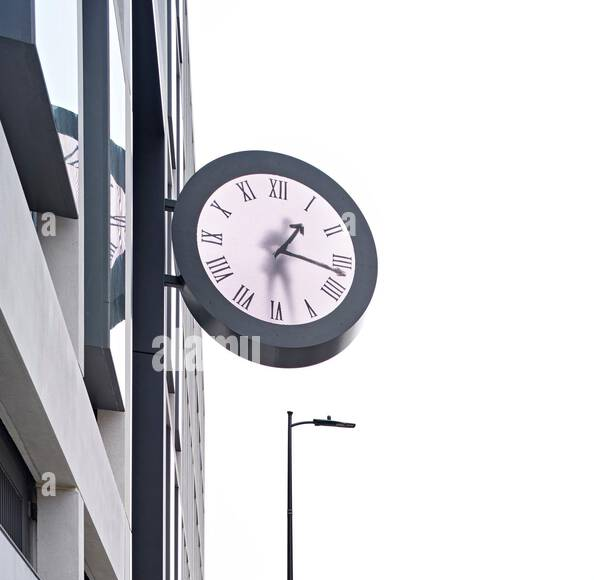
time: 1:16
